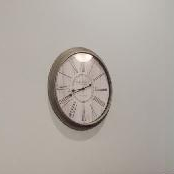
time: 8:41
